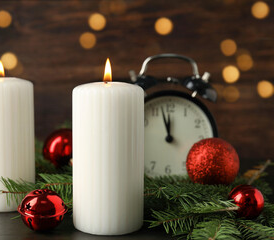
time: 11:57
